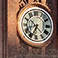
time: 6:52
